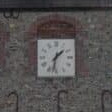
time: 1:32
